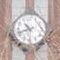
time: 10:41
